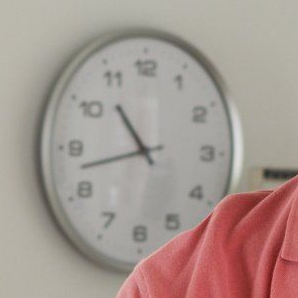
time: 10:42
